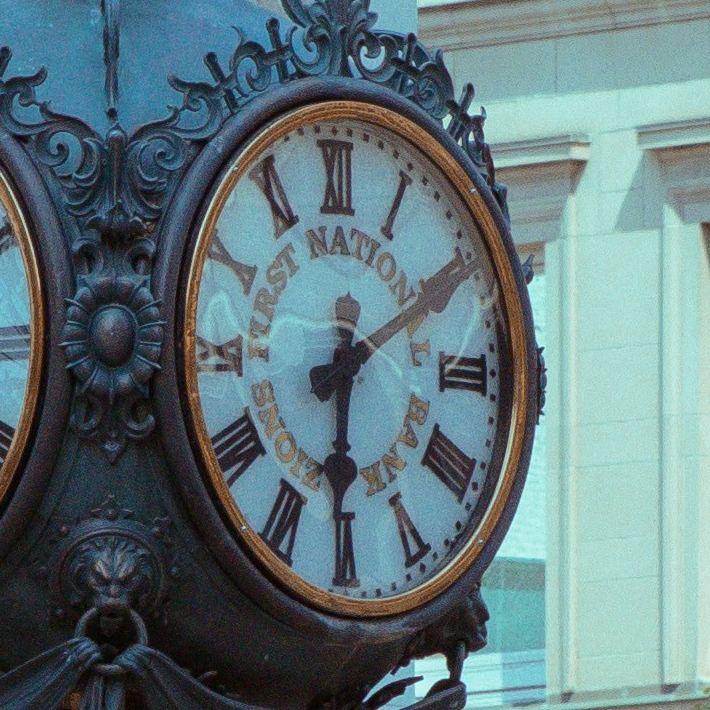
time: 6:10
